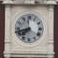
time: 7:42
